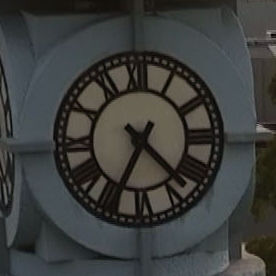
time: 4:34
